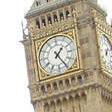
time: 1:24
